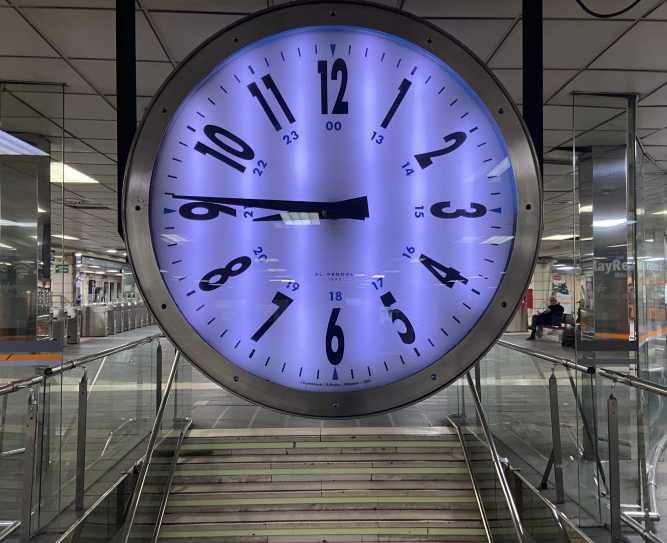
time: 8:45
